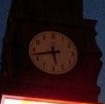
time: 5:42
